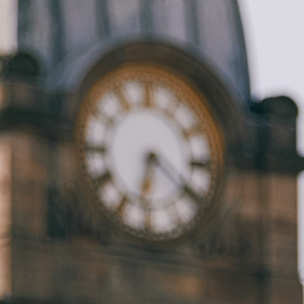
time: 6:21
